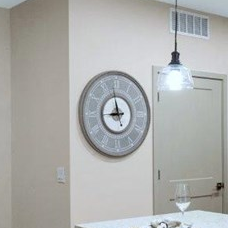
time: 8:58
